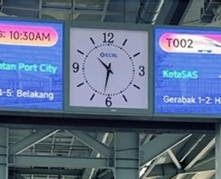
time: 10:32
